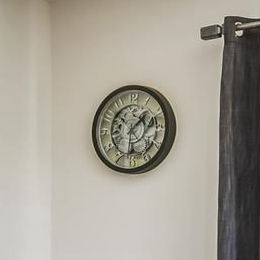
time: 1:31
